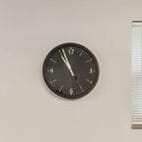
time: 10:56
